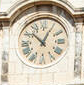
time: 12:52
